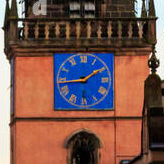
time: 1:43
